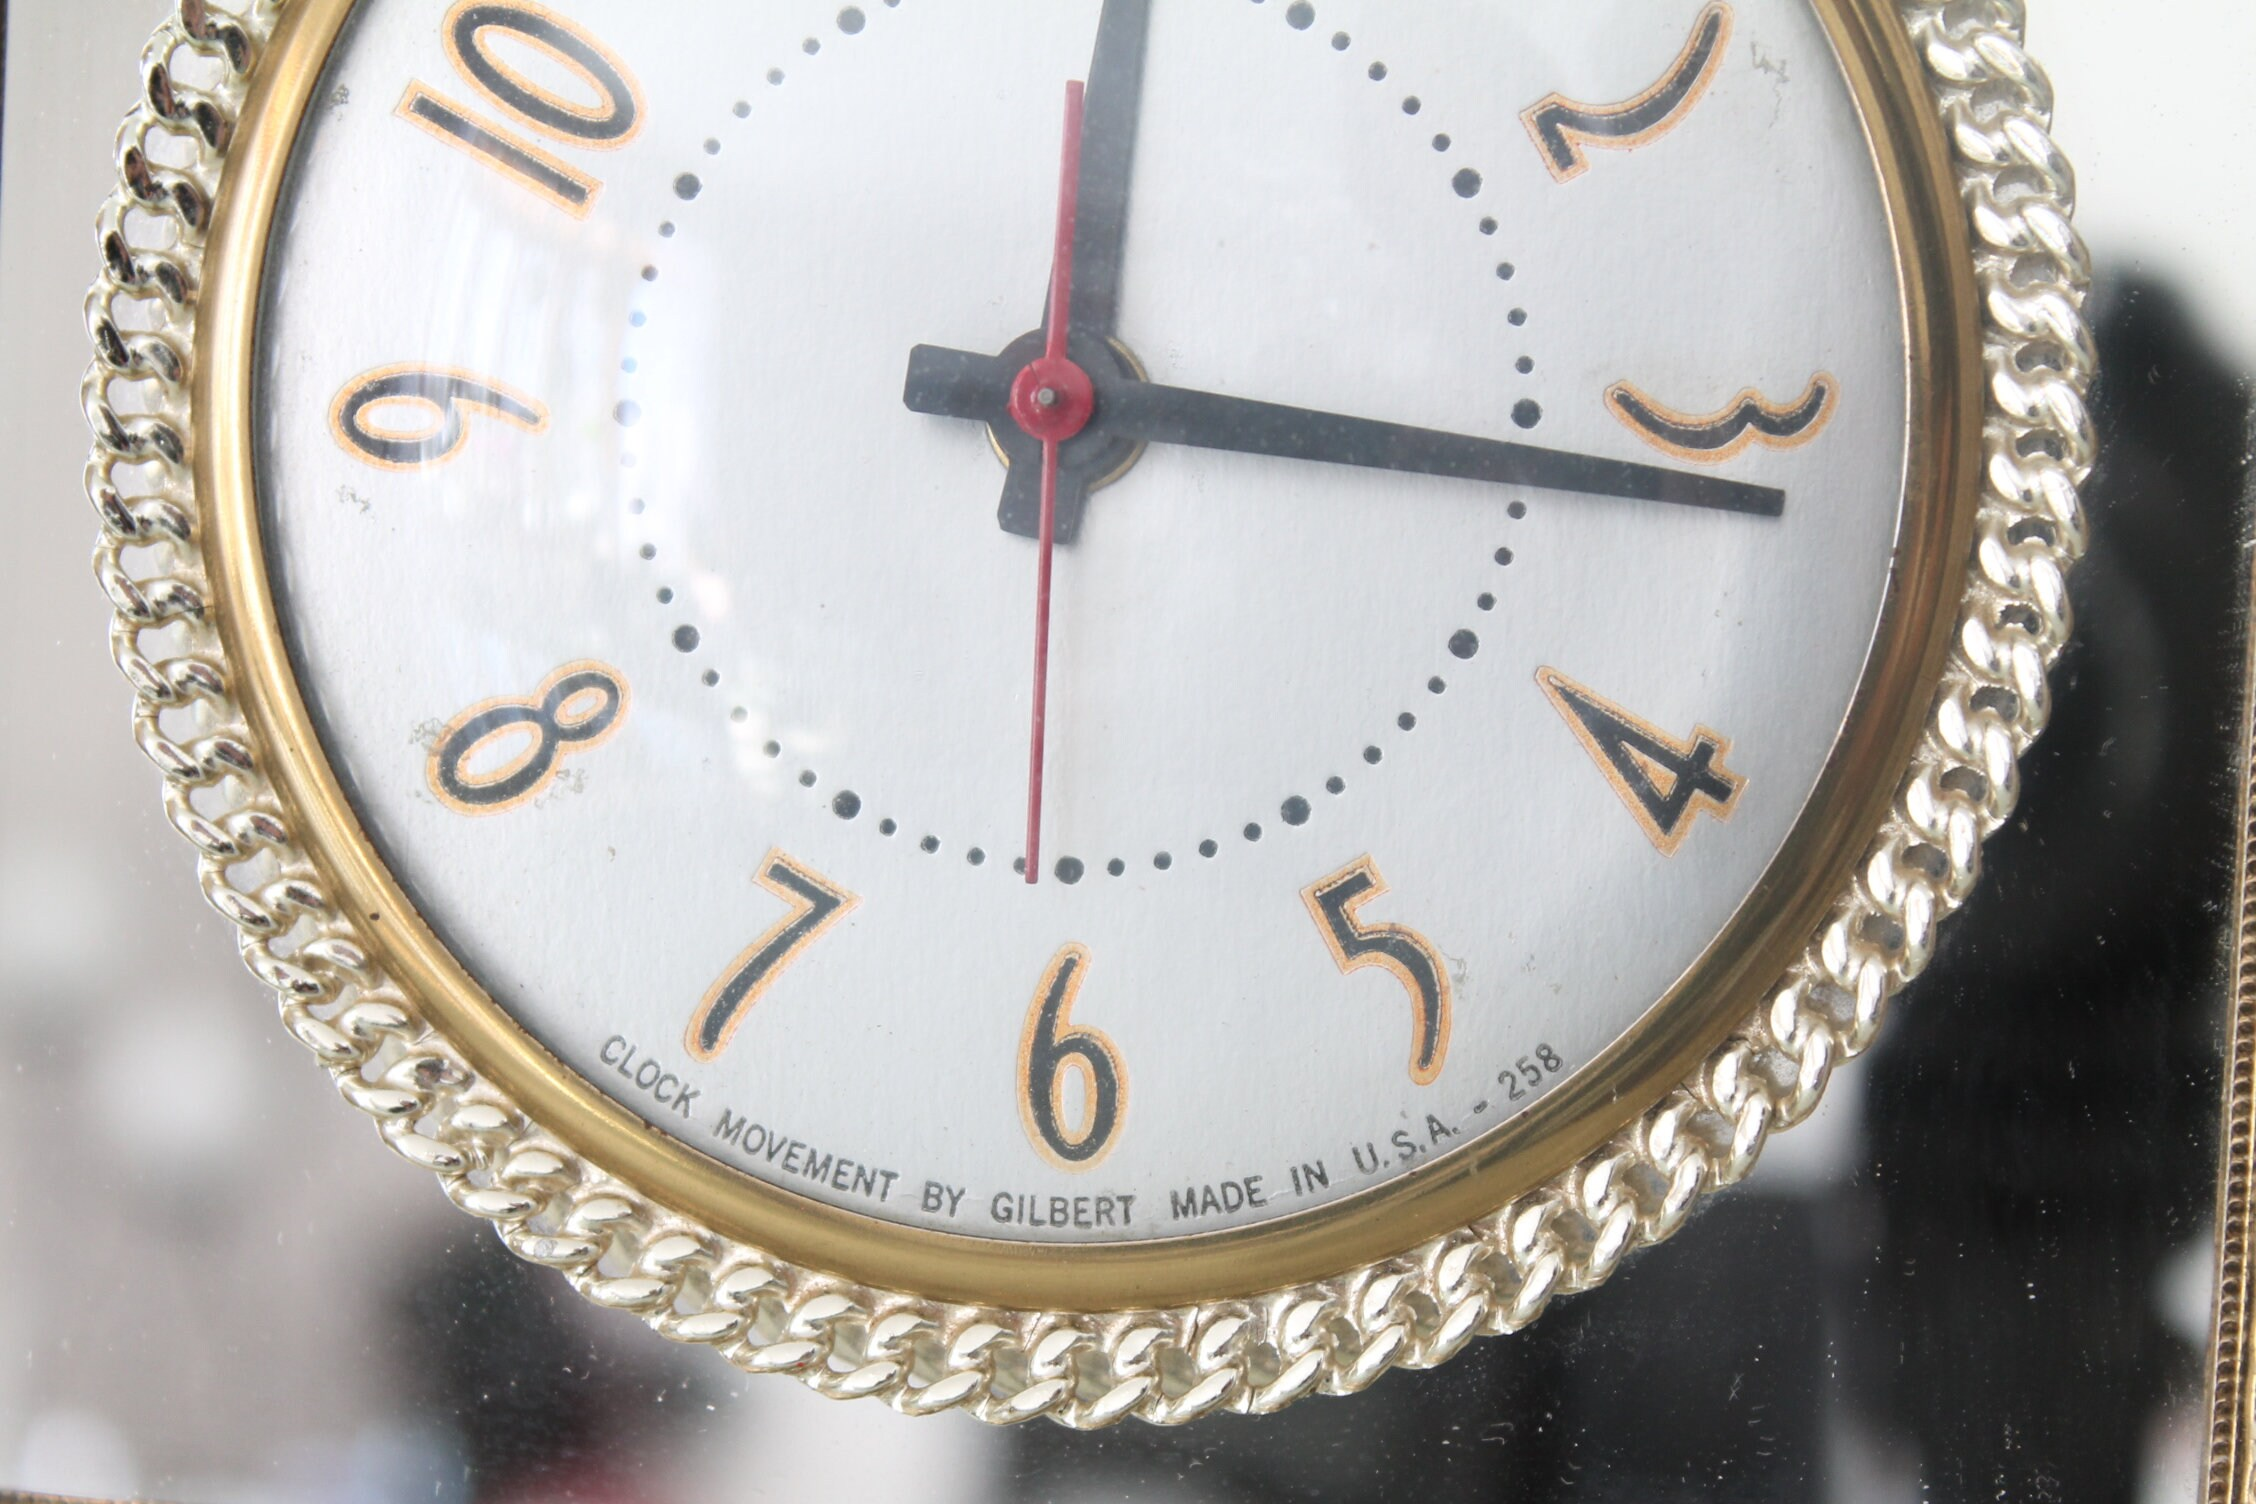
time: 12:16
